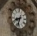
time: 8:33
